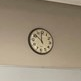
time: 11:51
